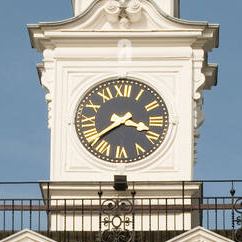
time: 3:38
